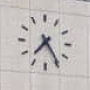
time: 7:24
